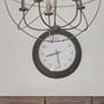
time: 8:28
